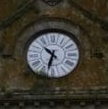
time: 10:32
